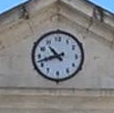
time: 10:42
